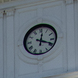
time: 12:18
